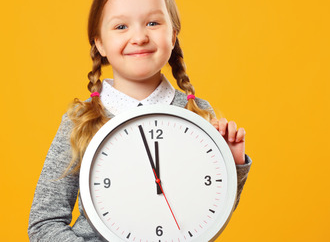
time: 11:57
